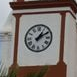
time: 1:09
